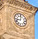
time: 9:01
